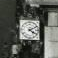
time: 4:10
